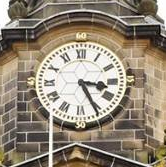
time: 3:25
